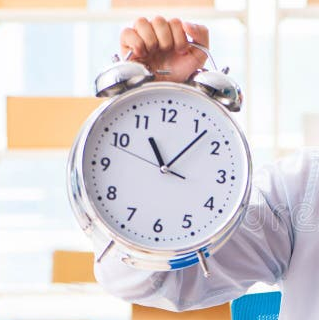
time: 11:07
